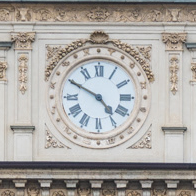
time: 4:49
